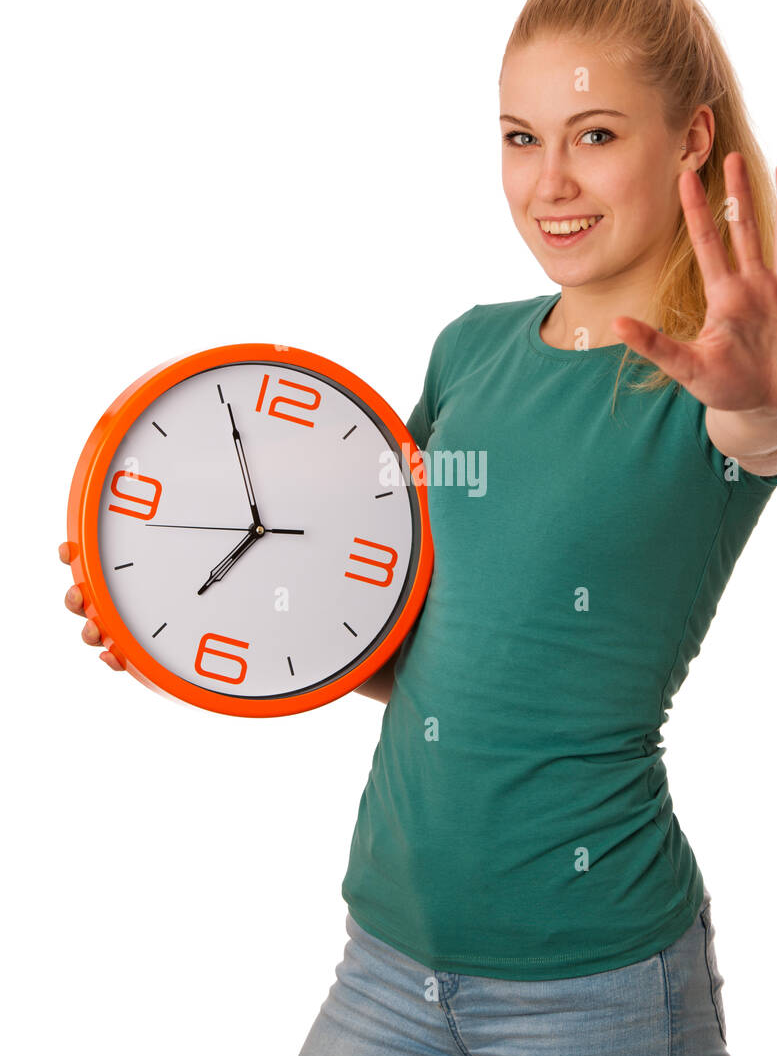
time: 6:55
